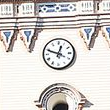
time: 12:48
